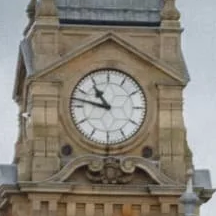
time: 10:47
